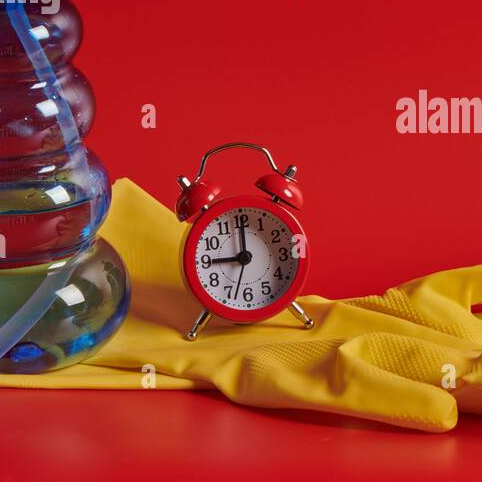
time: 9:00
